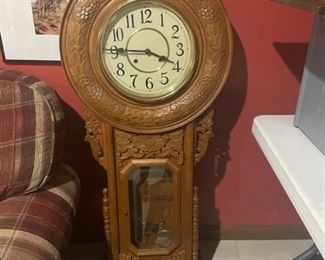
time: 3:45
